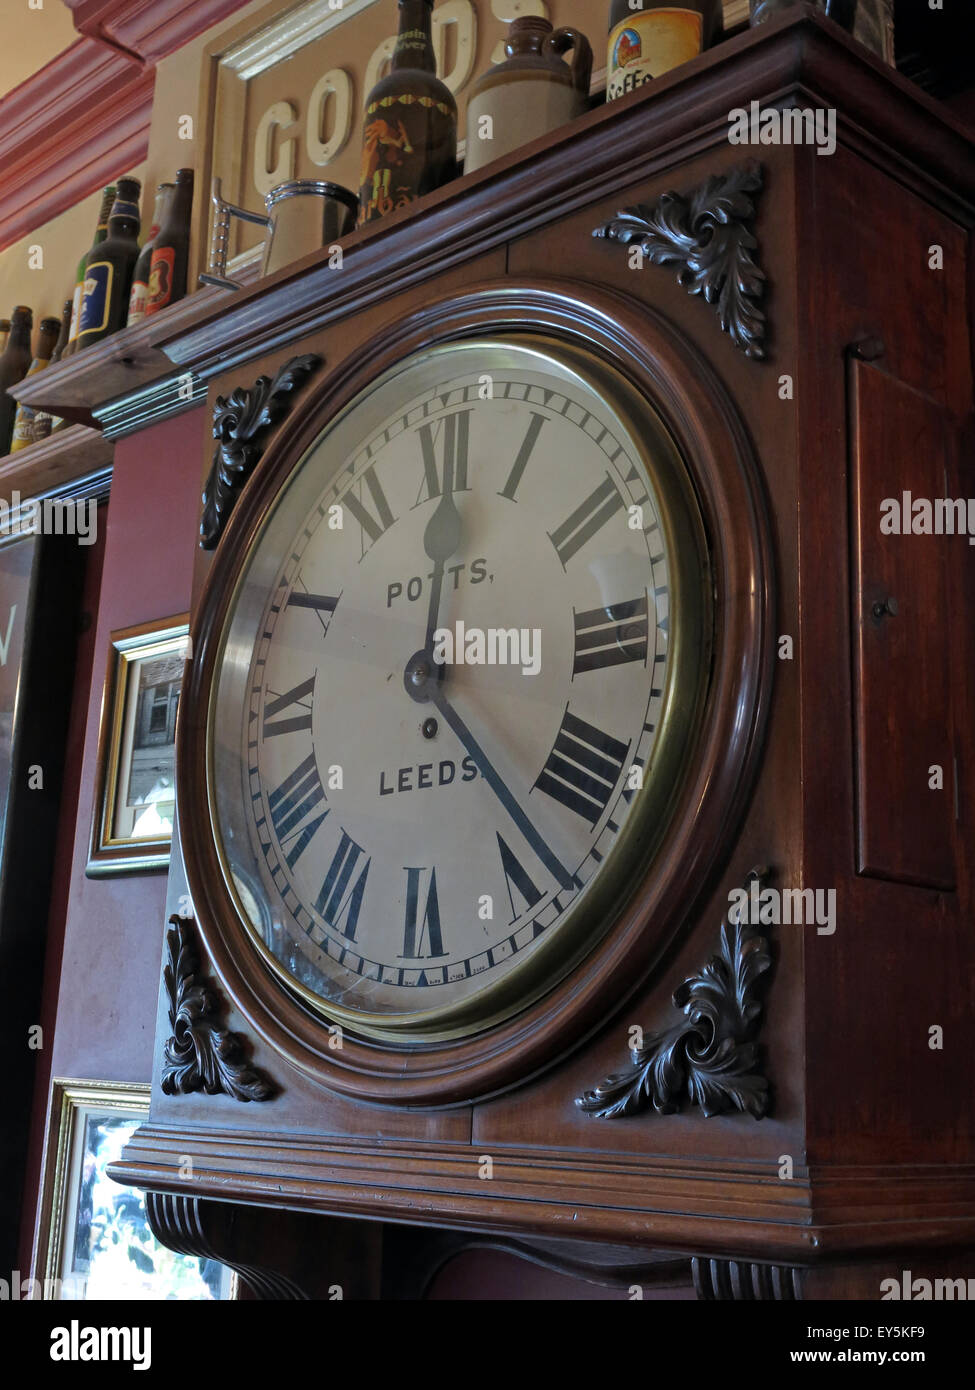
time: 12:23
